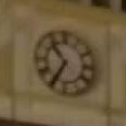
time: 10:35
